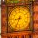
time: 8:34
